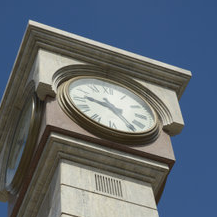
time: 9:23
